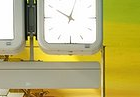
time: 10:02
